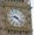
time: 9:22
